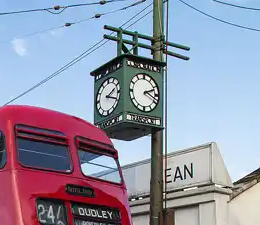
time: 2:18
